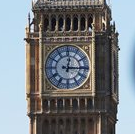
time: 12:15
